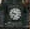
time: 9:36
